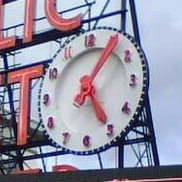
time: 5:05
